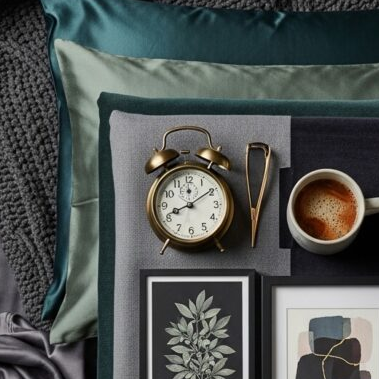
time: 8:09
